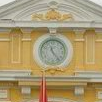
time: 11:23
